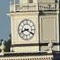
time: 8:20
